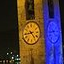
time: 4:43
